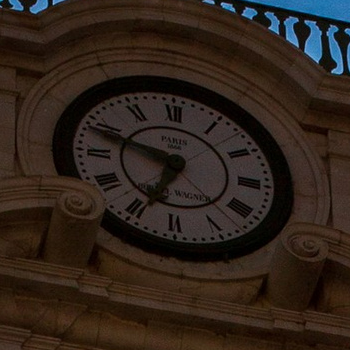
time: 6:48
